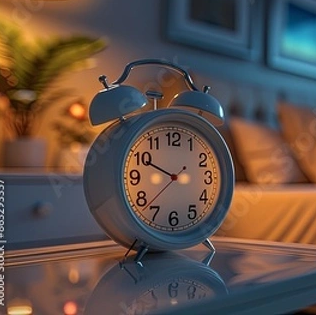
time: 9:49
